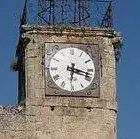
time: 6:17
